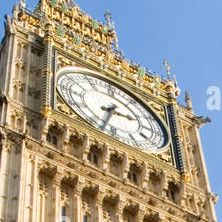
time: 2:33
